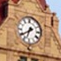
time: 6:39
